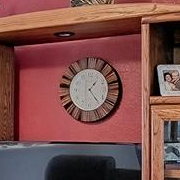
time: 1:23
